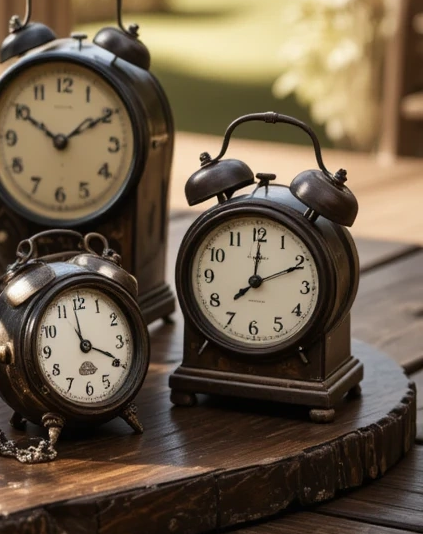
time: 12:10
